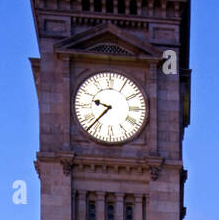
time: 9:37
